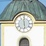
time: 5:59
